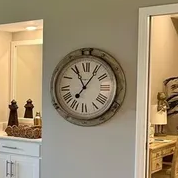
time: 11:05
